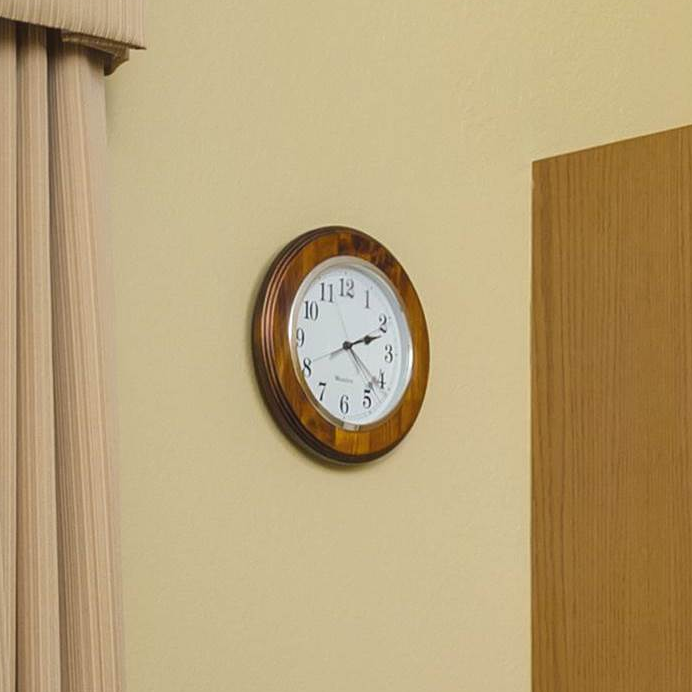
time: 2:21
